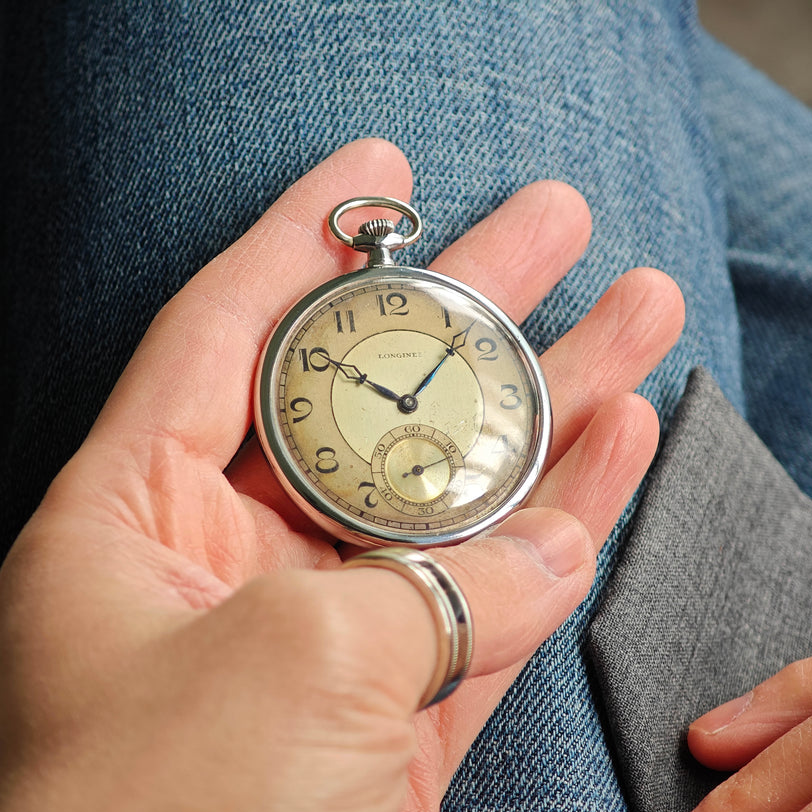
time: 10:07
